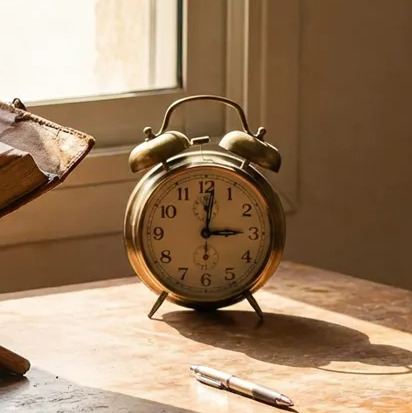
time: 3:01
